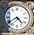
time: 4:39
